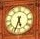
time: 5:33
